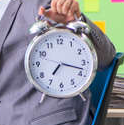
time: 7:17
